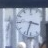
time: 3:33
